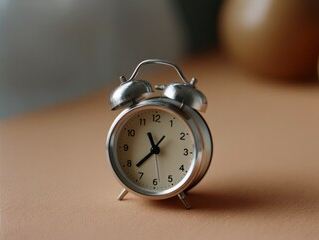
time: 11:37
